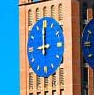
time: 8:59
